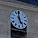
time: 4:58
